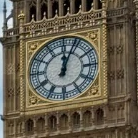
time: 12:04
